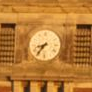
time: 8:36
